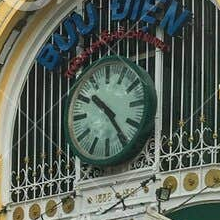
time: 10:24
